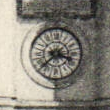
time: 3:37
